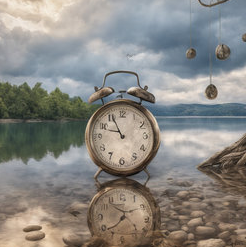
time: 9:55
